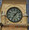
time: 7:07
